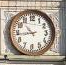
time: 10:43
